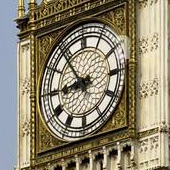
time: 8:53
